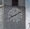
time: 8:09
